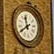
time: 11:40
